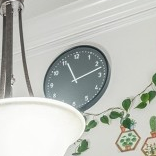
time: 11:12
